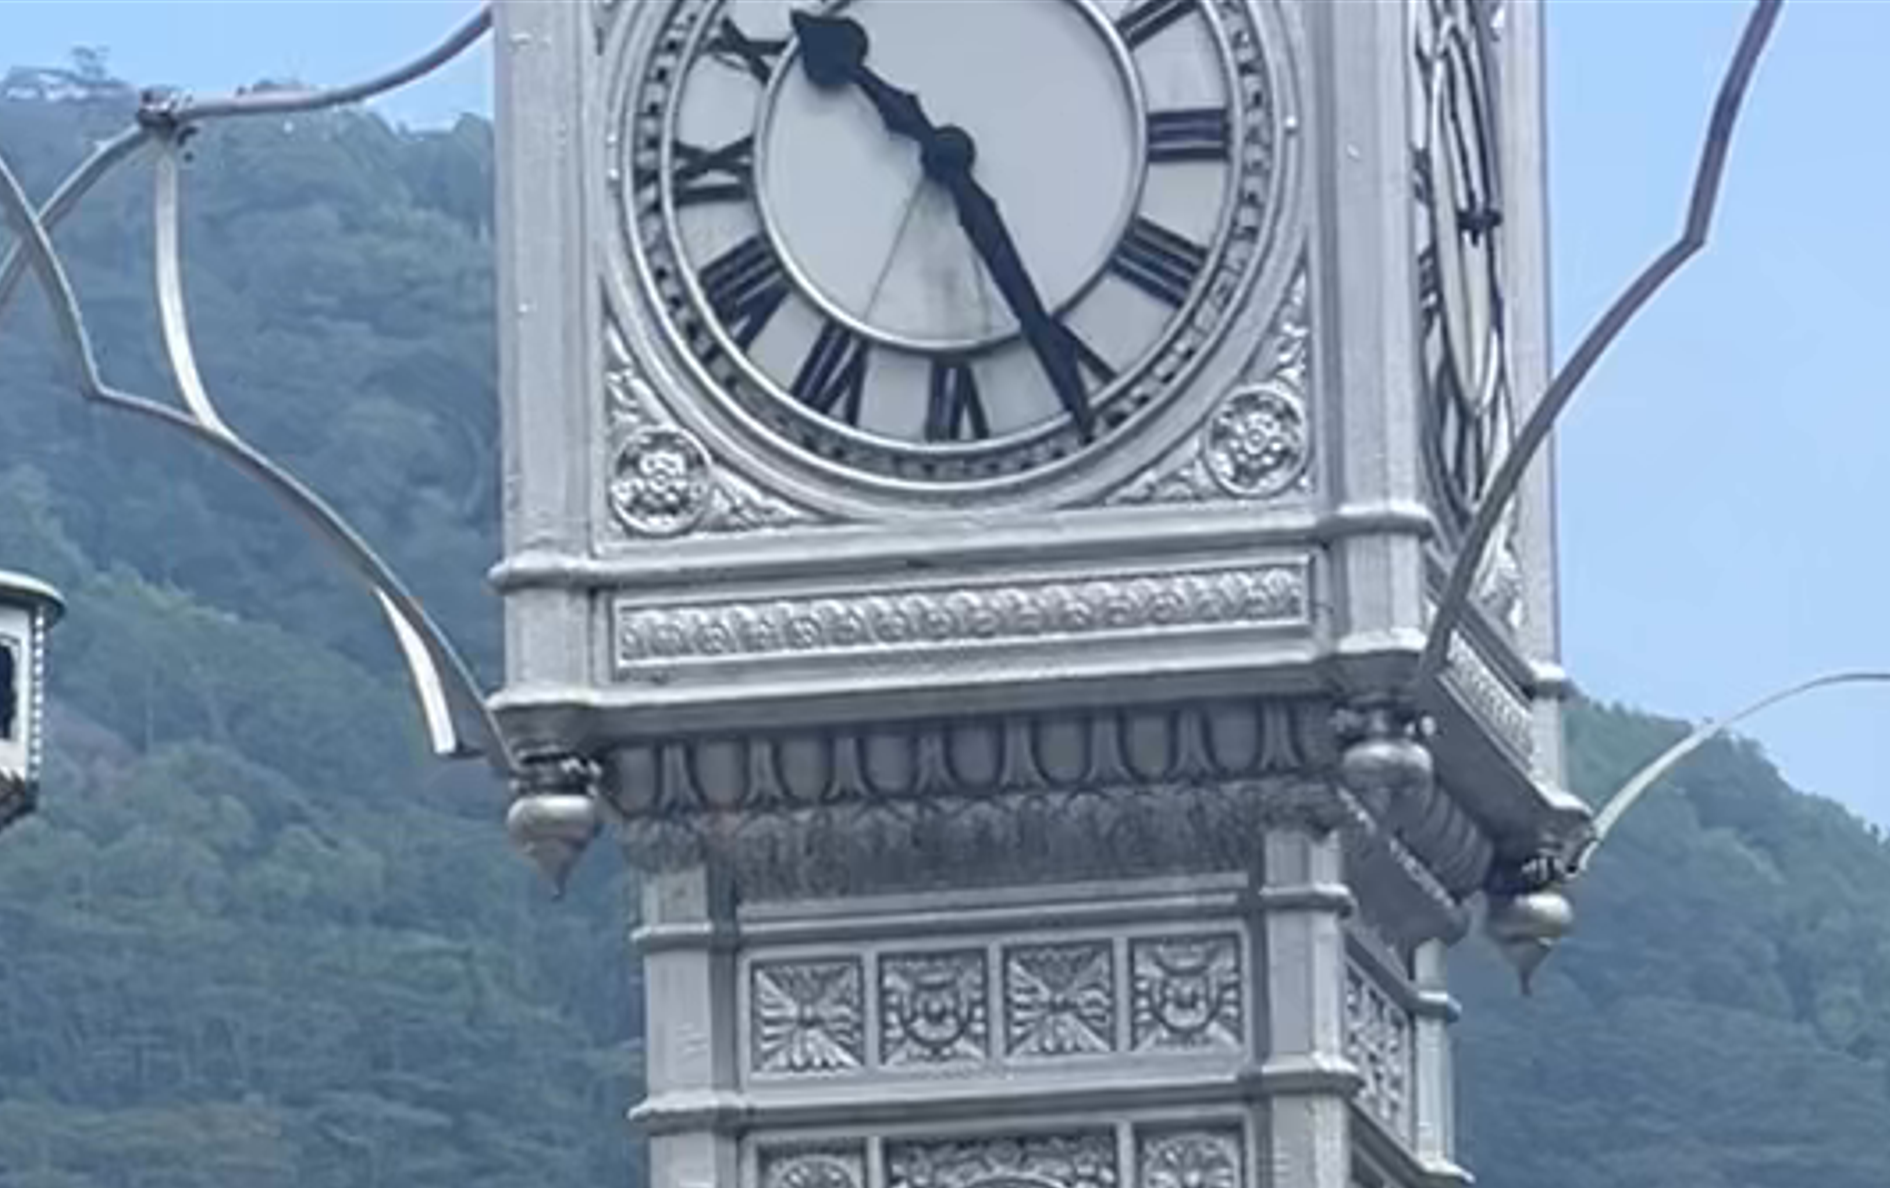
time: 10:25
